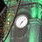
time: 7:07
